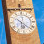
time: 6:21
